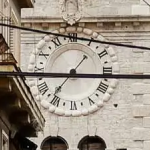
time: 7:16
